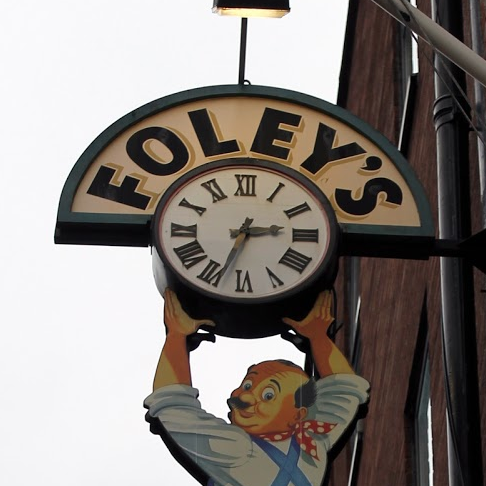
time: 2:33
